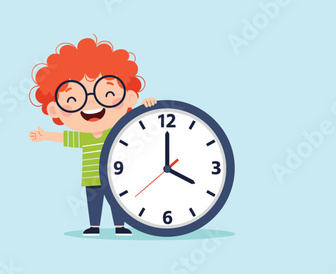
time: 4:00
